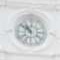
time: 10:51
